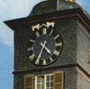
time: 4:34
